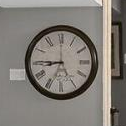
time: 8:45
